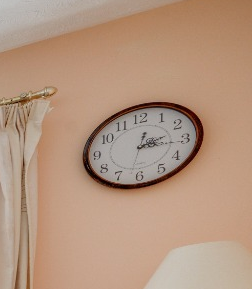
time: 2:15
